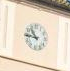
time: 10:45
